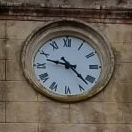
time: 9:22
